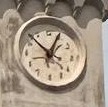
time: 12:52
